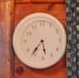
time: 5:36
